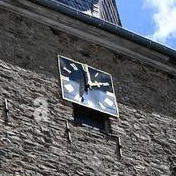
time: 2:00
